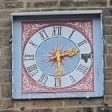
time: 2:29
